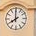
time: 7:59
